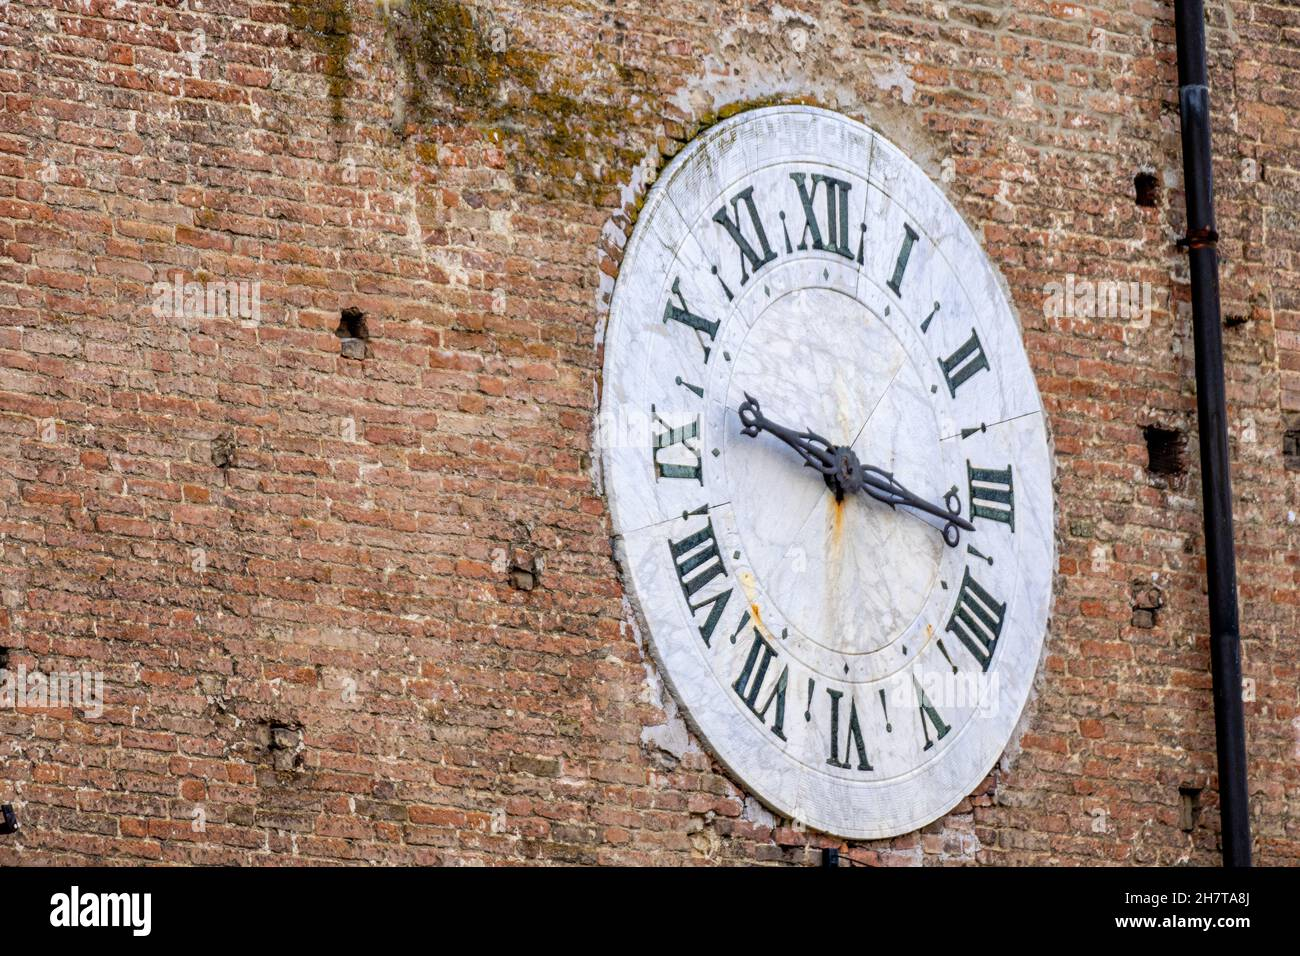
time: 9:16
